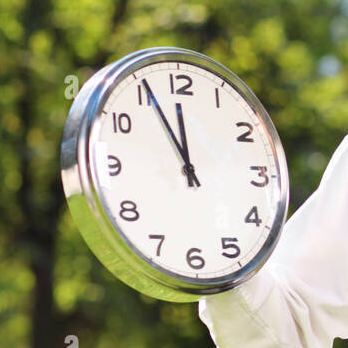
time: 11:55
